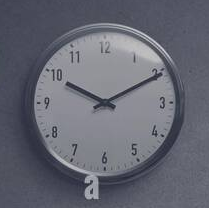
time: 10:10
